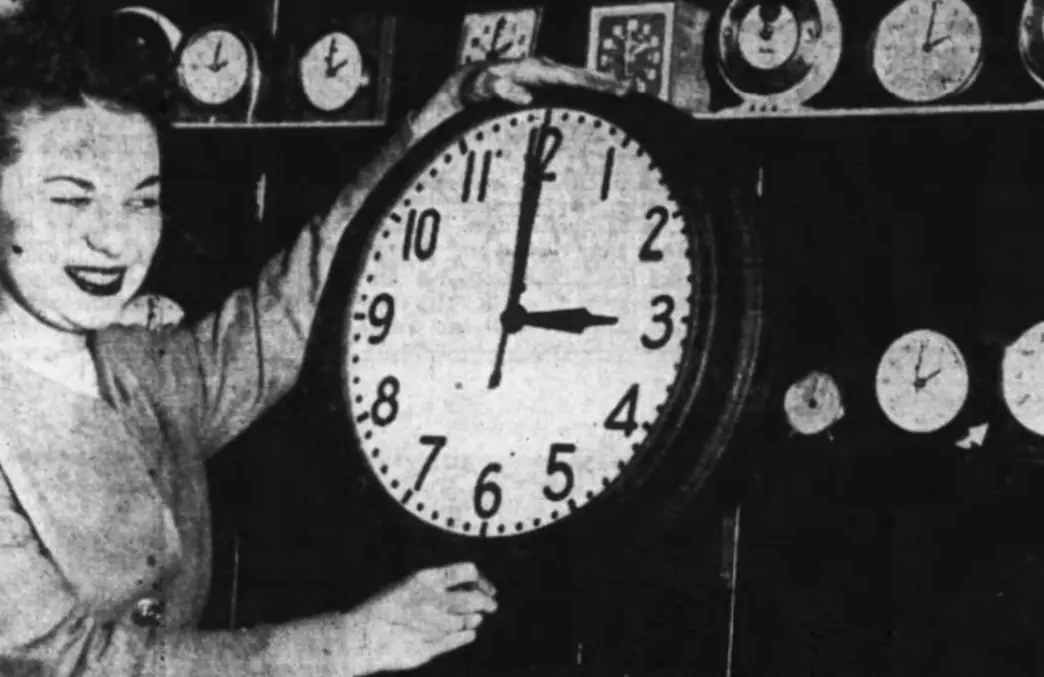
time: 2:59
